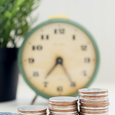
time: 7:25
